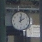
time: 2:01
